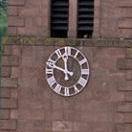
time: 11:48
